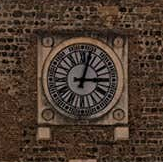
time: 3:02
